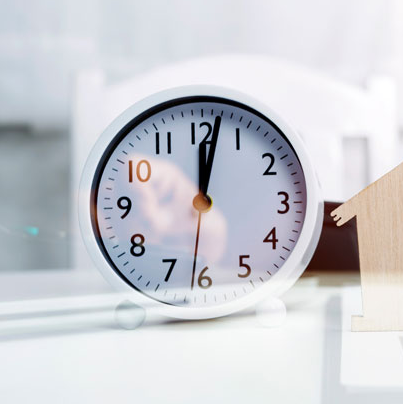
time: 12:01
